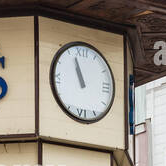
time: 10:56
